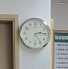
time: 2:14
